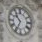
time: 10:34
